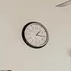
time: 1:16
